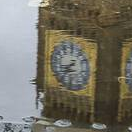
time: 8:38
